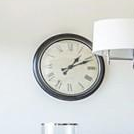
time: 1:11
